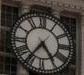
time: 4:36
